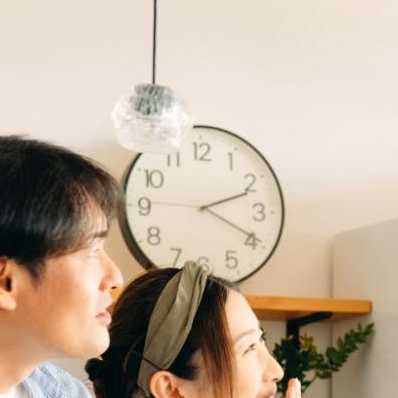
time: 2:19
